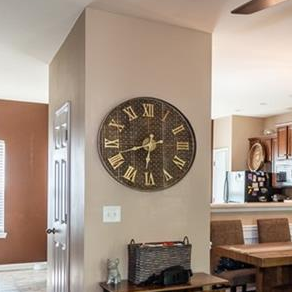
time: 6:42
